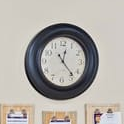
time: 12:23
